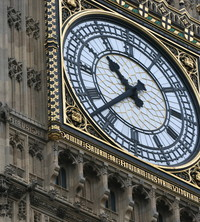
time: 10:37
